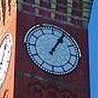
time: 1:05
